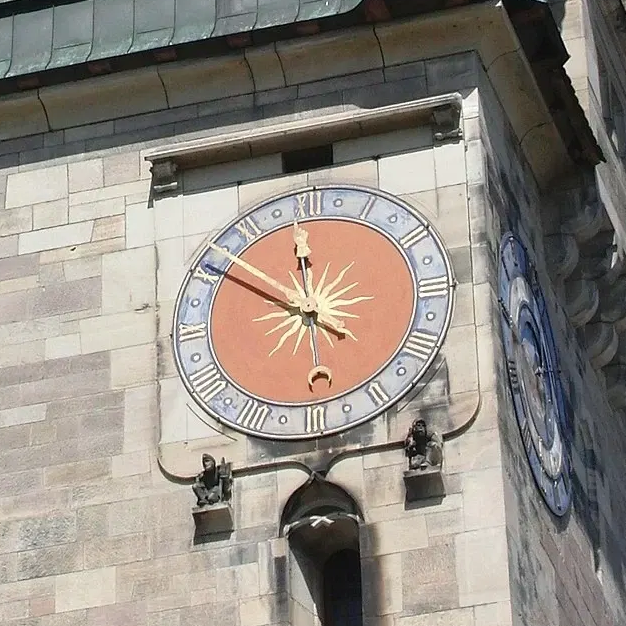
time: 11:50
